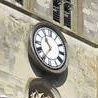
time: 10:35
